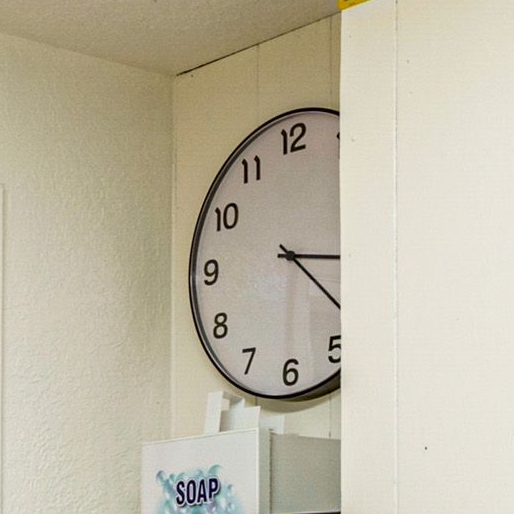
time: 3:21
